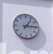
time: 1:14
